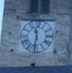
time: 11:31
